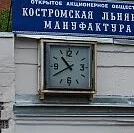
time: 10:39
